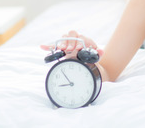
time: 8:54
